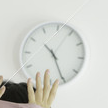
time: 10:25
